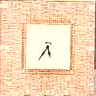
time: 5:35
